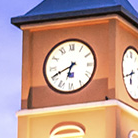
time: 6:40
